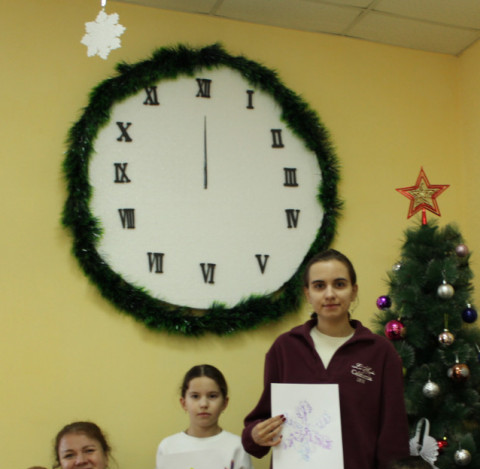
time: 12:00
